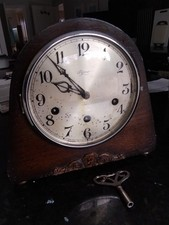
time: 9:53
